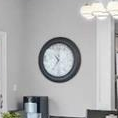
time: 10:35
